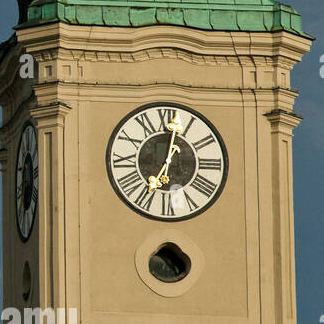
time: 7:02
